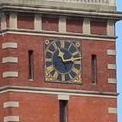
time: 11:12
